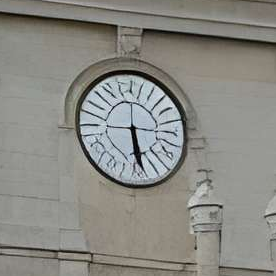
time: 5:28
